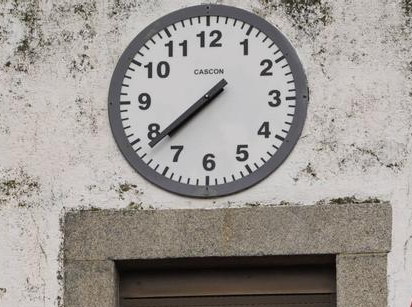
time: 7:38
